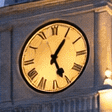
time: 5:05
